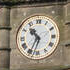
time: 10:34
